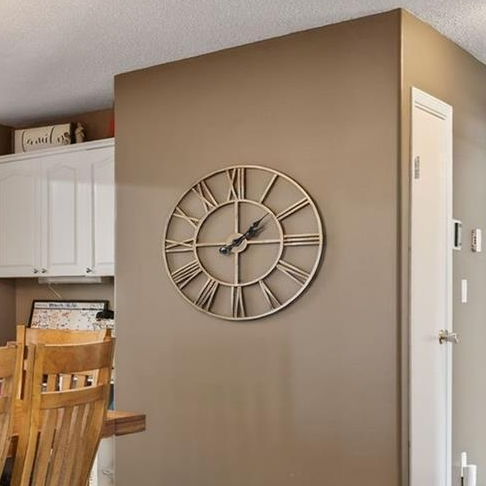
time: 2:00
